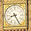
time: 8:25
